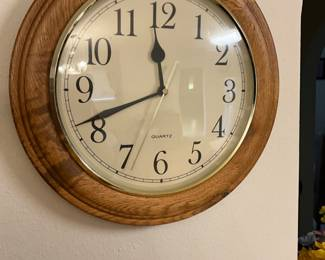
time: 11:41
